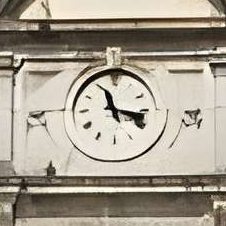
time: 11:17
